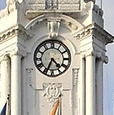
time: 4:34
